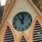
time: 11:02
